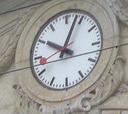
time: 10:03
